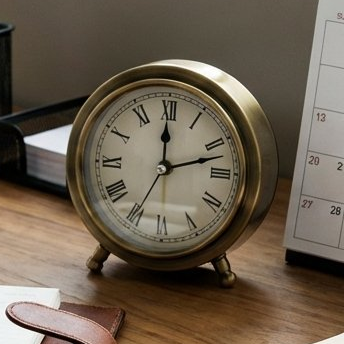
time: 12:12
